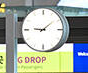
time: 9:08
